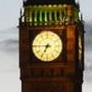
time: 6:45
